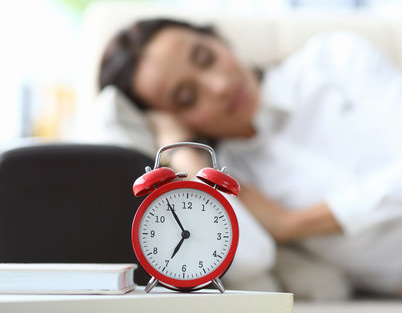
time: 6:54
